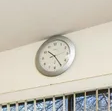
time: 10:24
